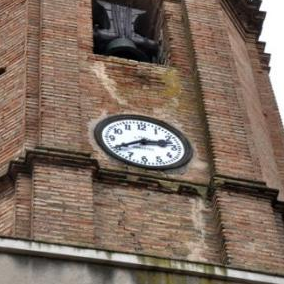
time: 2:40
